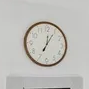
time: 12:05
